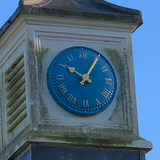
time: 10:05
